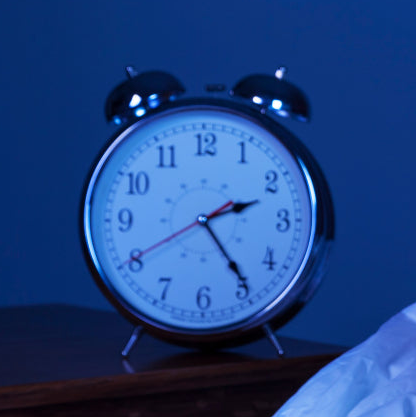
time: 2:24
